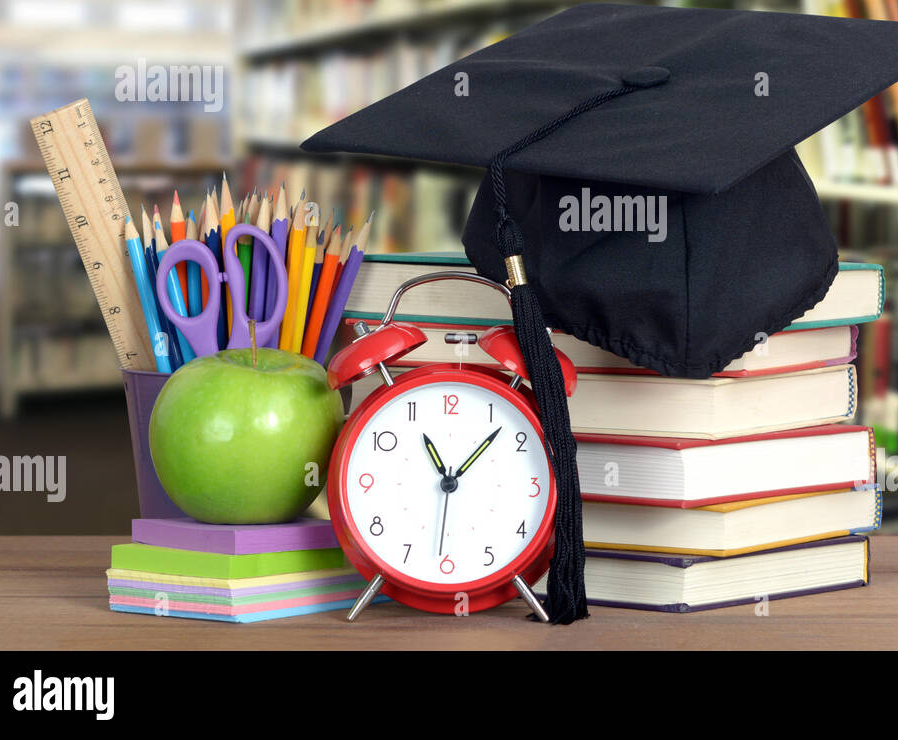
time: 11:07
